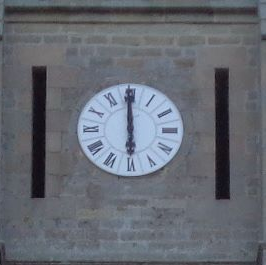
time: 5:59
